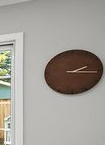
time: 2:15
